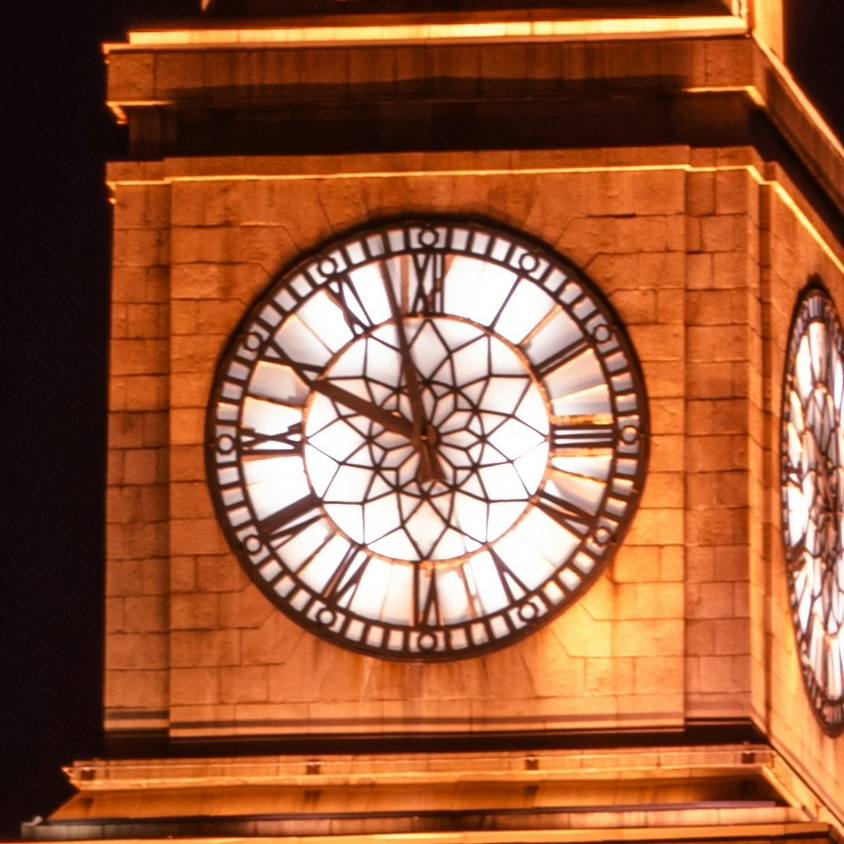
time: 9:57
